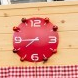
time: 7:44
